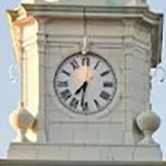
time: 7:31
